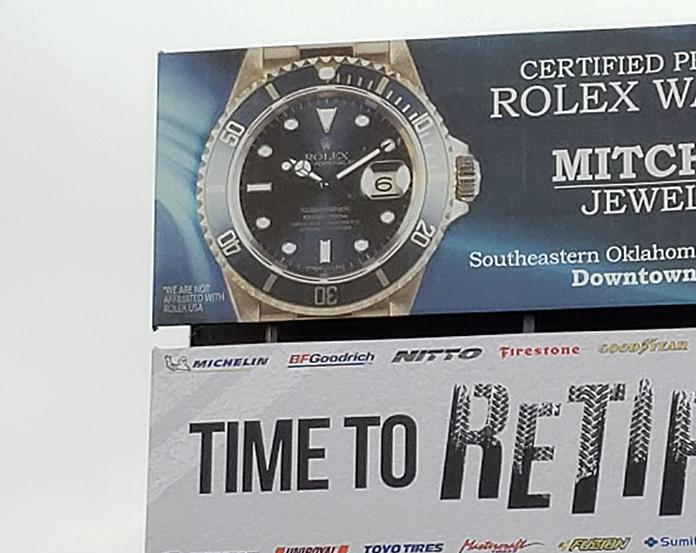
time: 10:09
